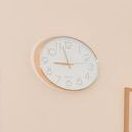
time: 8:57
